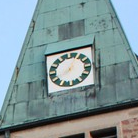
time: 8:04
